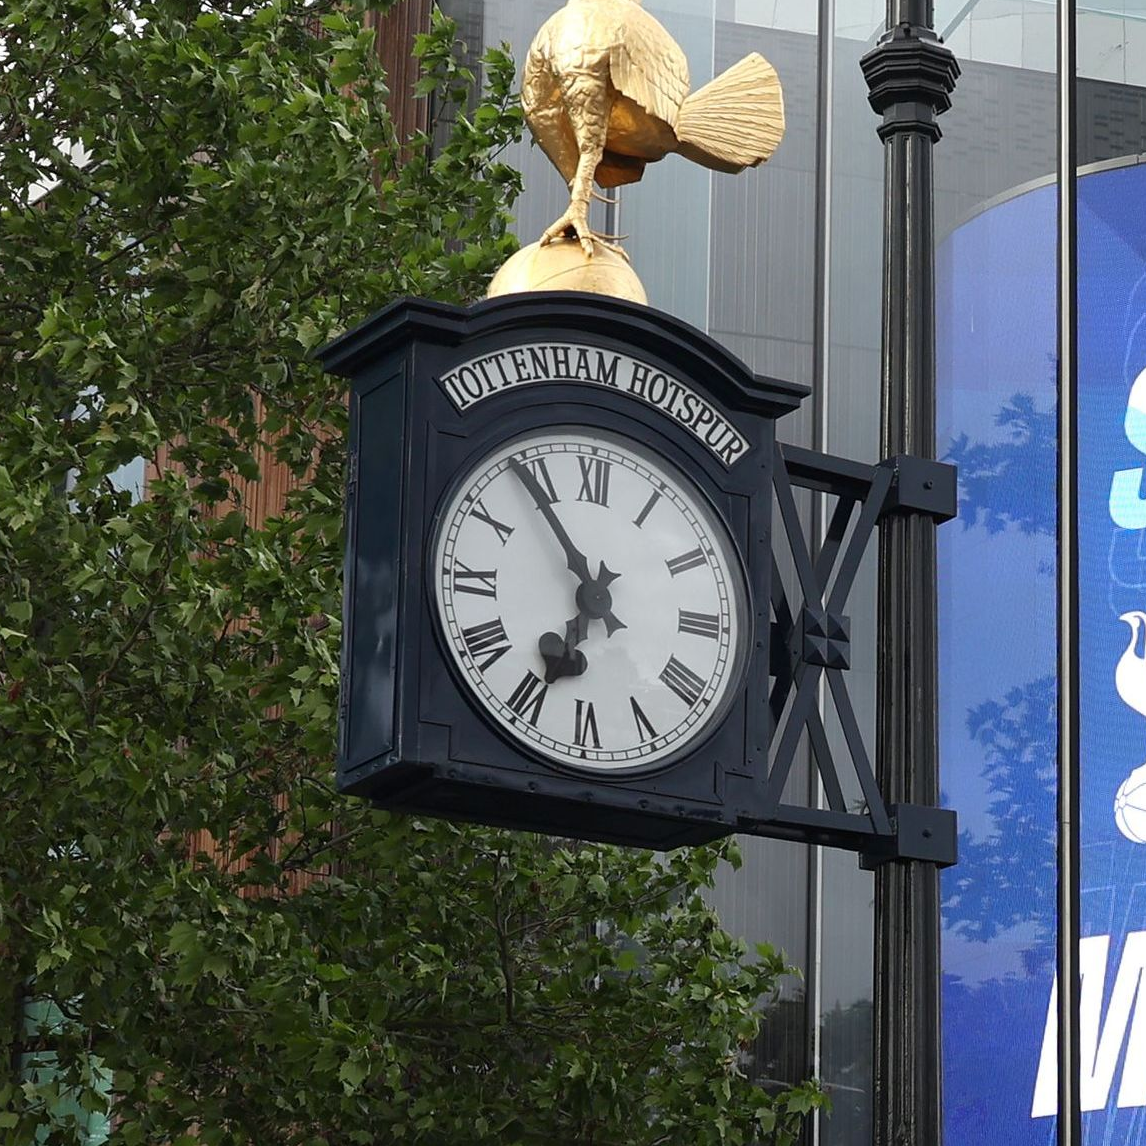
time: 6:54
